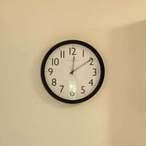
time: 12:09
